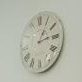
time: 1:13
